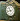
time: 10:42
